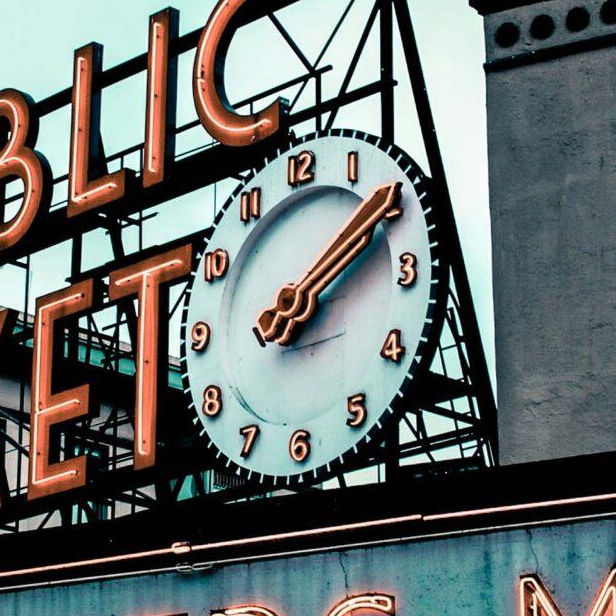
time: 2:09
